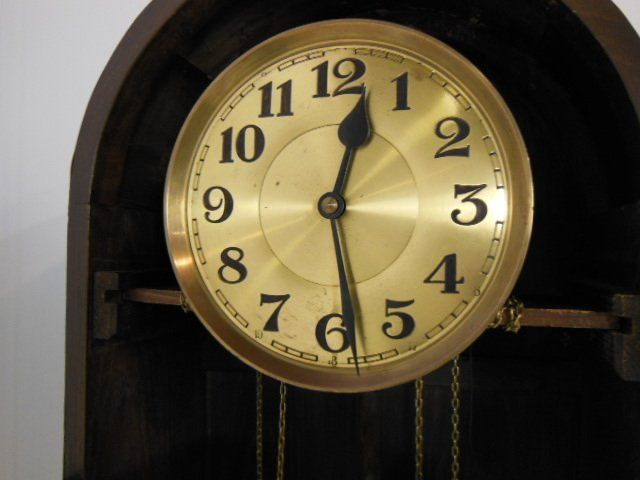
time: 12:28
